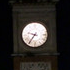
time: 9:36
